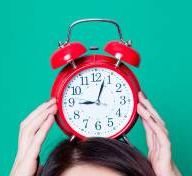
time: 9:03
